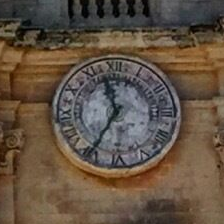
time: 11:35
